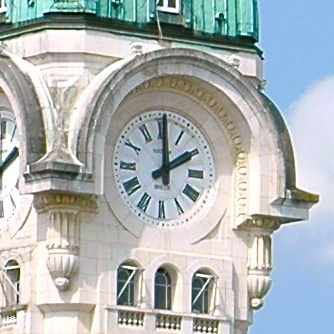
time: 2:00
